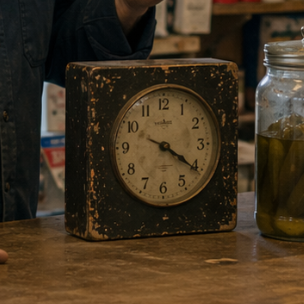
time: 4:20
